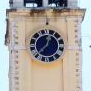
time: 12:37
